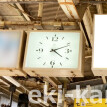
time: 4:11
